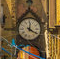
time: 12:20
